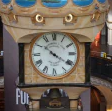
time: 10:20
